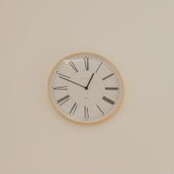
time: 12:49
